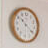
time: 10:20
